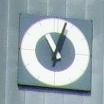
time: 11:03
